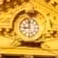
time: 8:59
